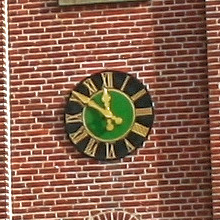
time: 11:50
